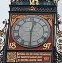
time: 12:29
